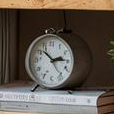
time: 2:52
